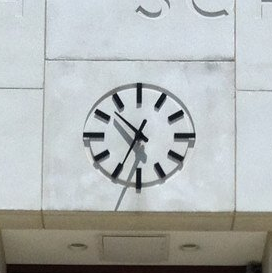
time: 10:34
